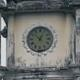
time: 12:52
